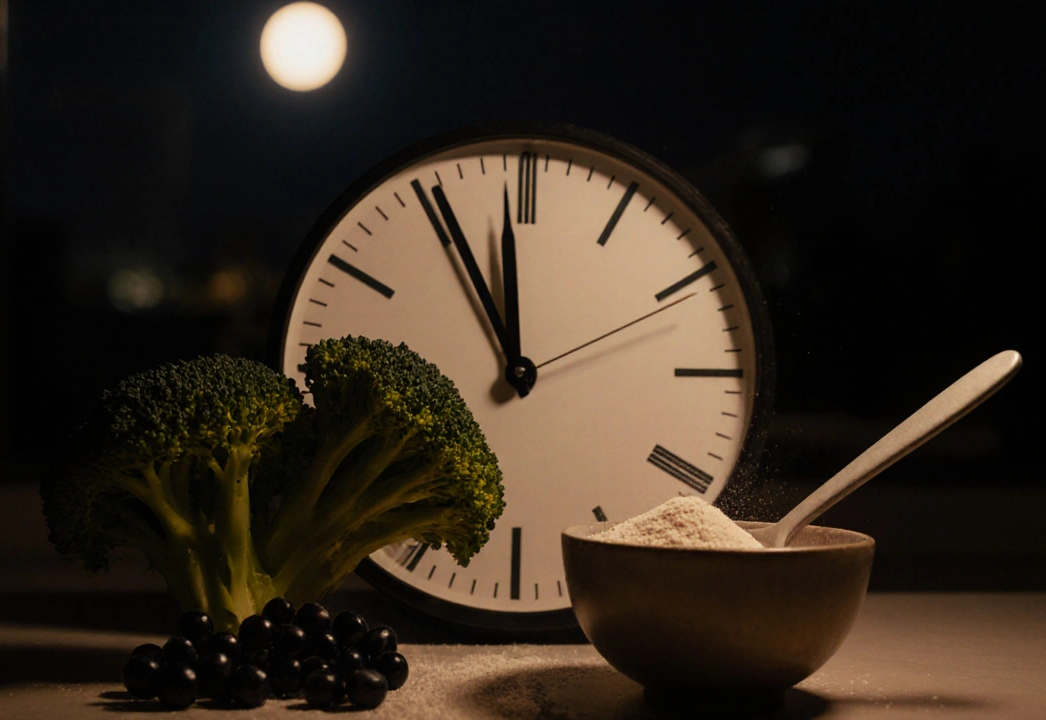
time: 11:55
